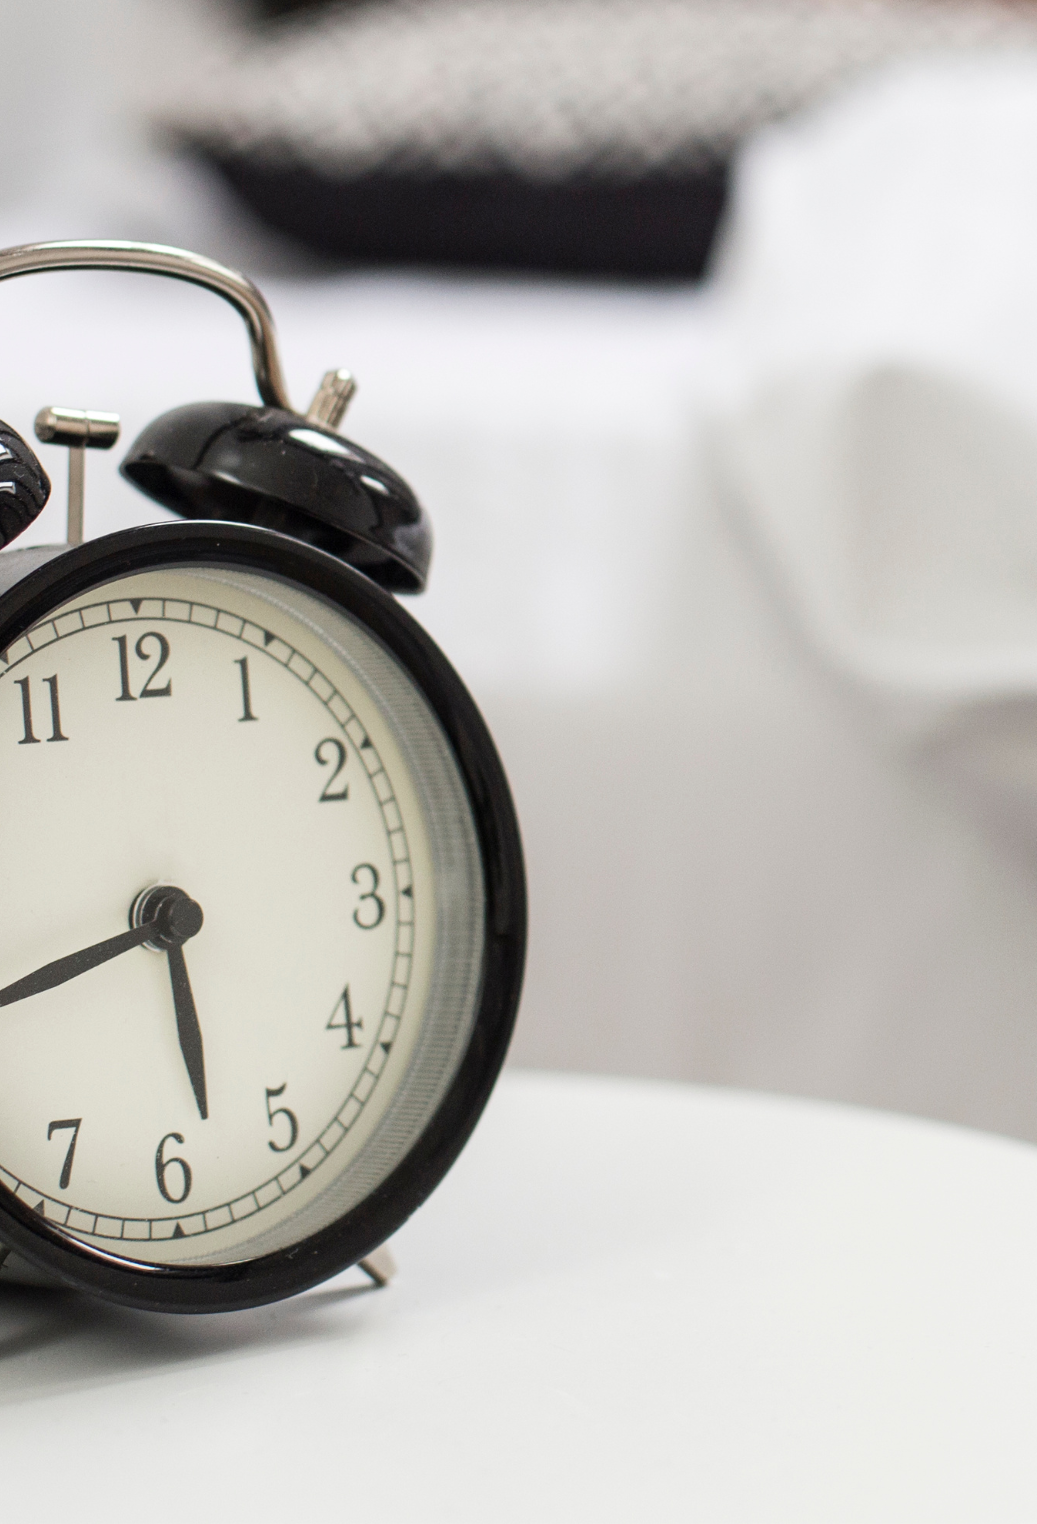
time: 5:42
